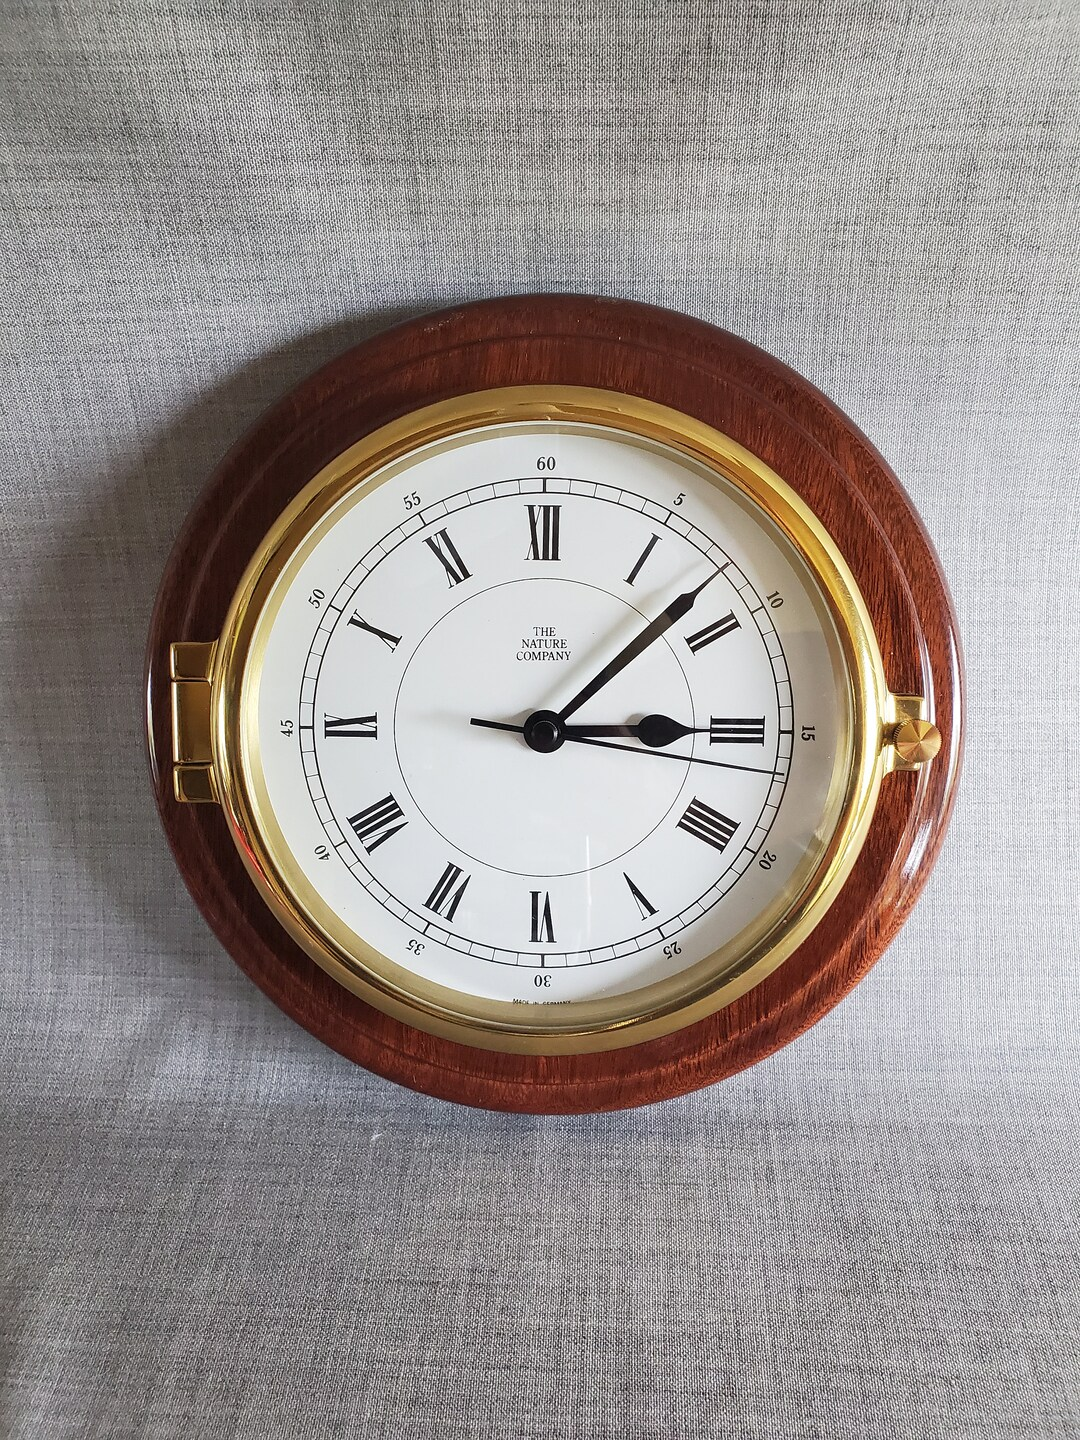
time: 3:07
